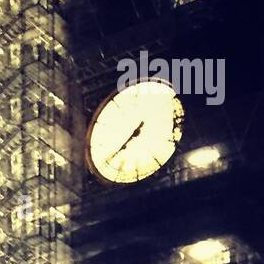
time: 7:39
